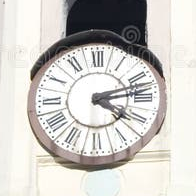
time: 4:12
